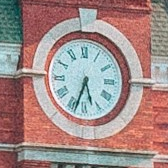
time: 5:33
